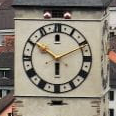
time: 5:50
